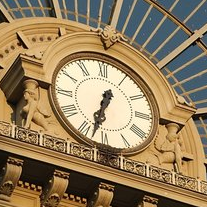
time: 12:32
